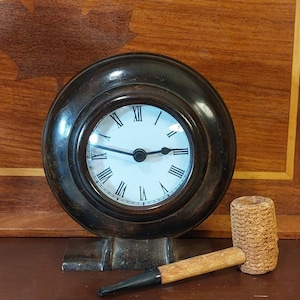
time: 2:47
